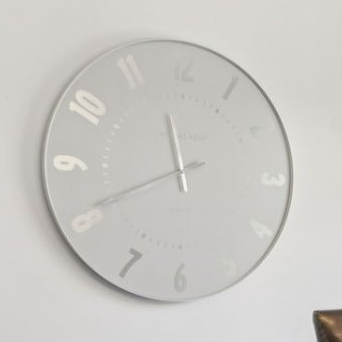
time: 11:40
